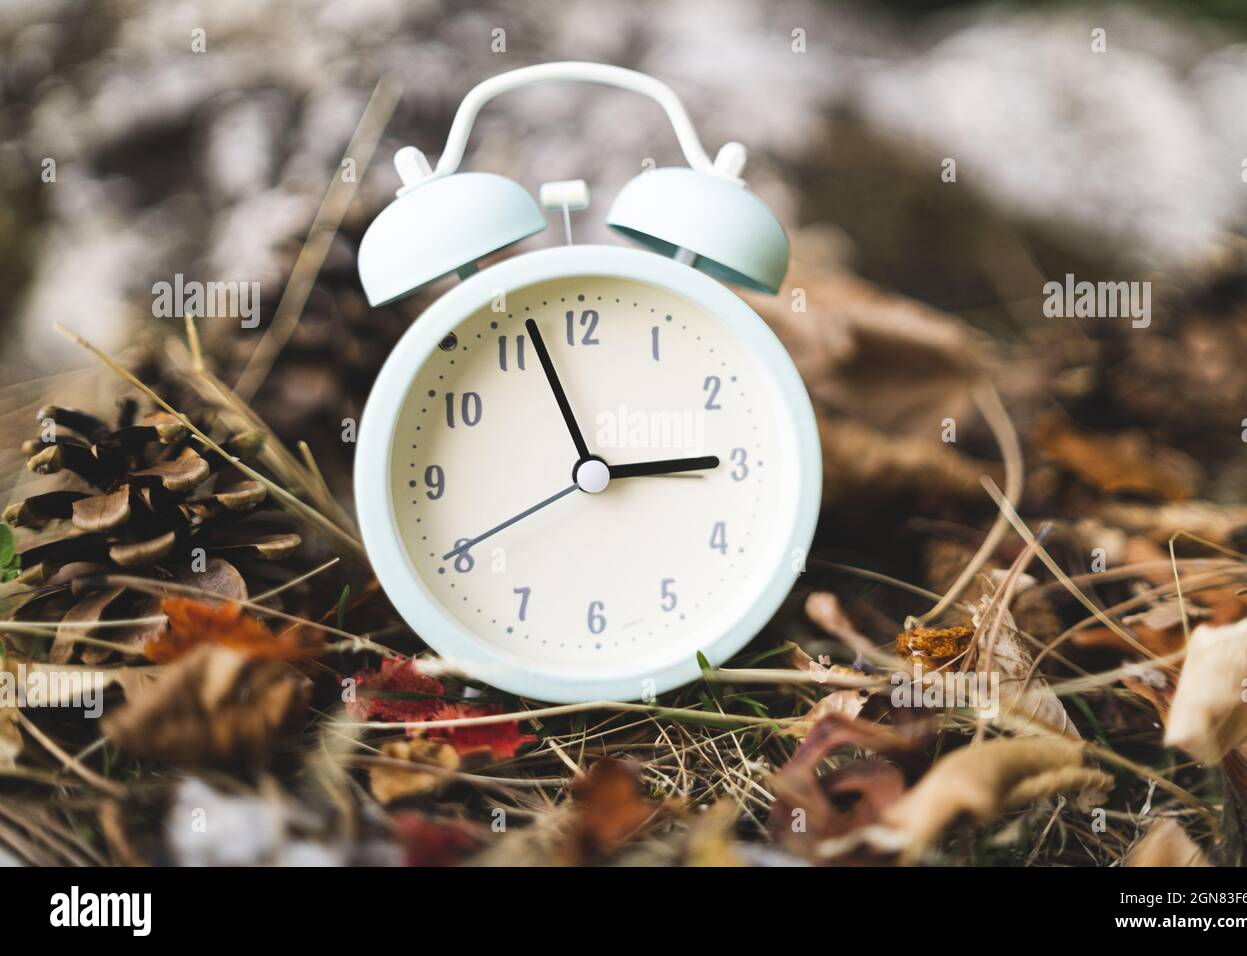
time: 2:56
